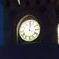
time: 4:01
